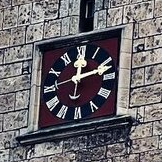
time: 12:12
